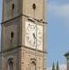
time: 4:28
